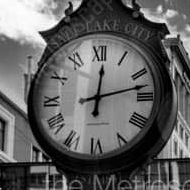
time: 12:12
